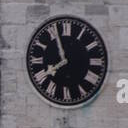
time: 7:56
